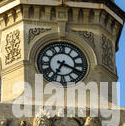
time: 3:34
